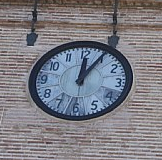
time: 12:04
